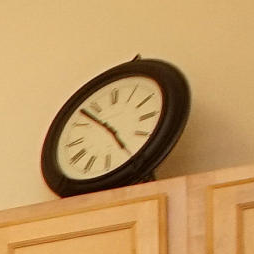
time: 4:52
